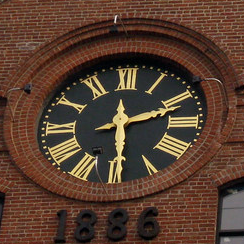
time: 2:29
